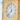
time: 11:37
